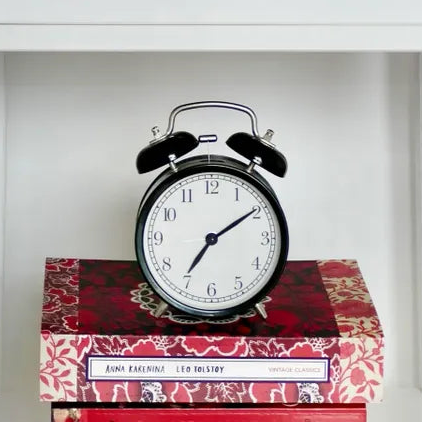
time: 7:09
